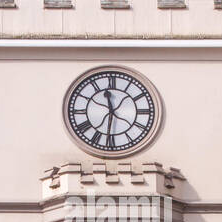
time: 11:31
